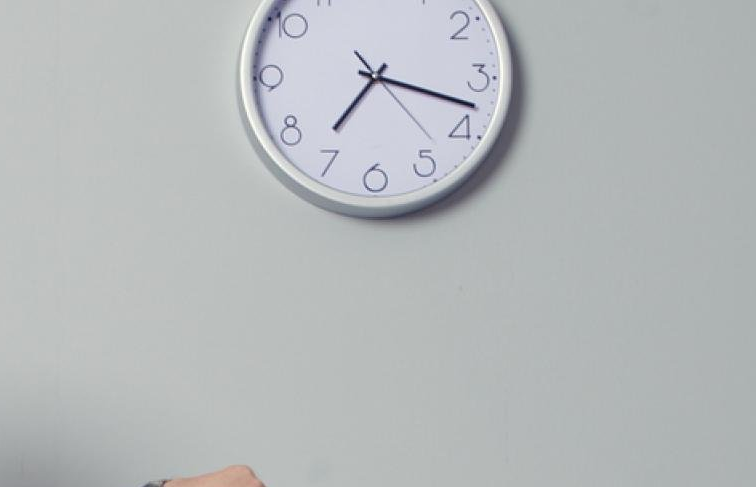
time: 7:17
